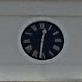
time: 12:31
